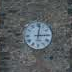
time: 3:01
